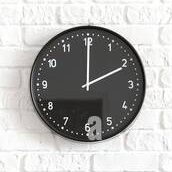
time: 2:00
